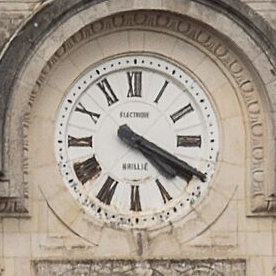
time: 4:19
